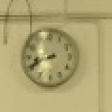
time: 8:41
